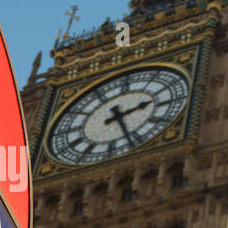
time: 2:26
